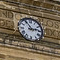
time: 2:54
